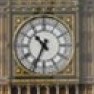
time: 10:34
